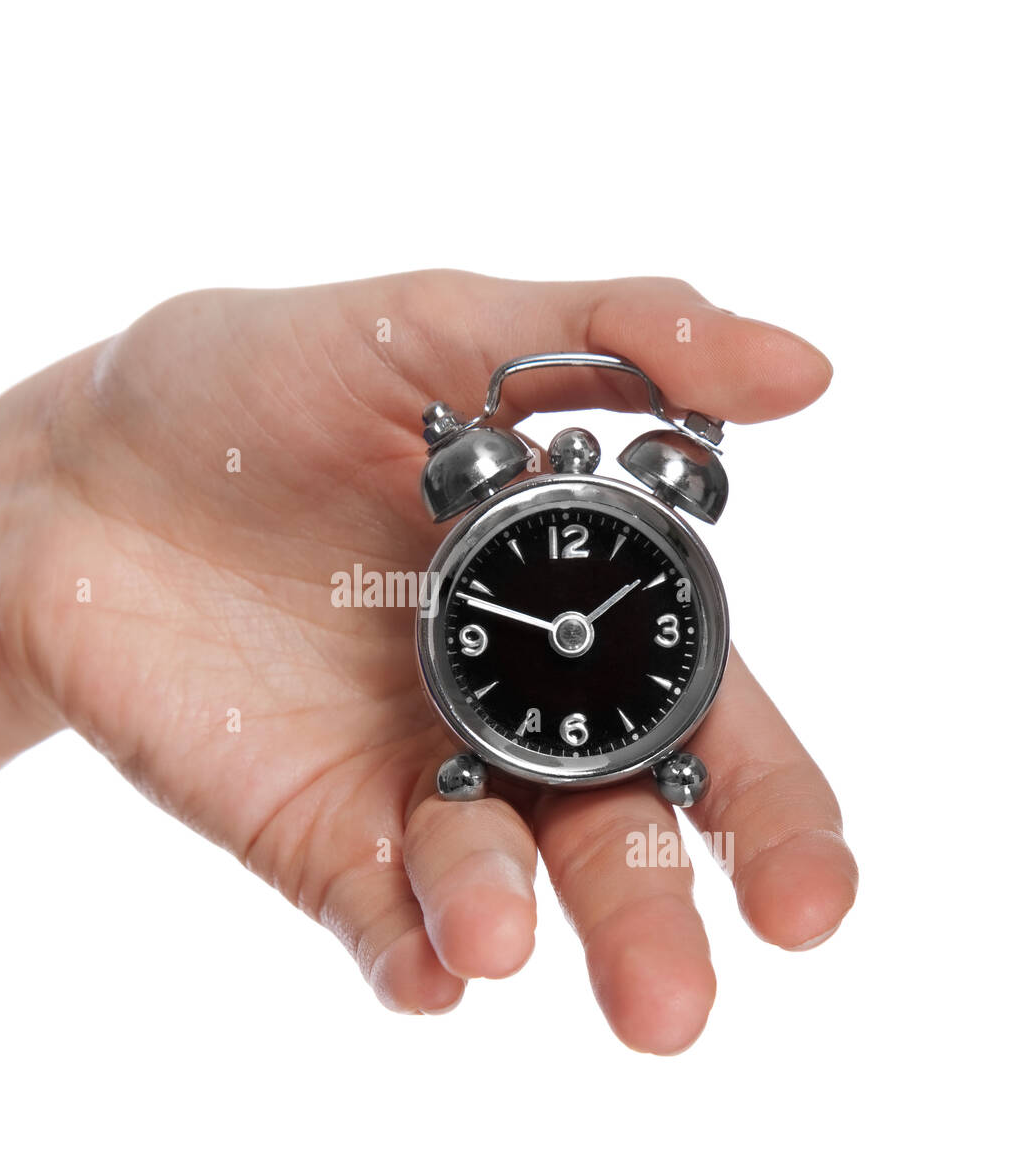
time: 1:48
